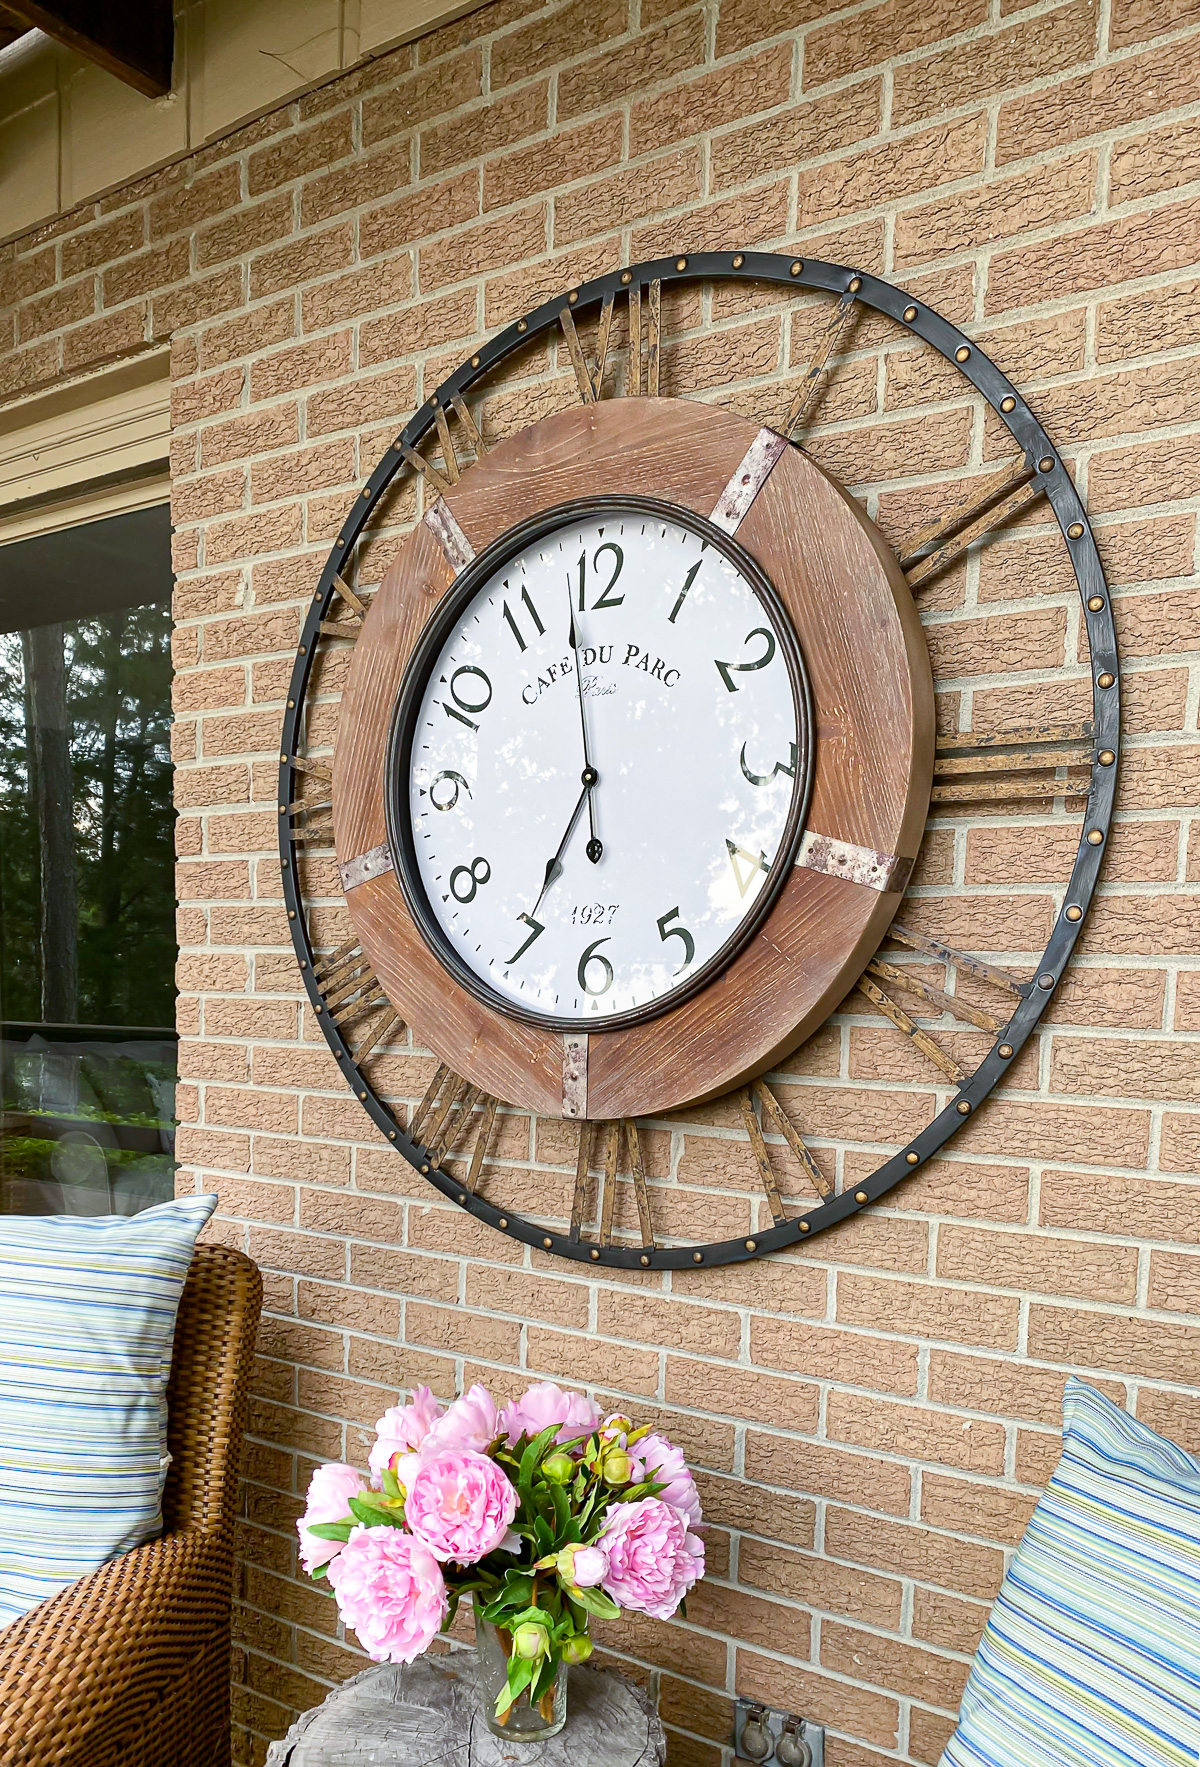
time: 6:58
